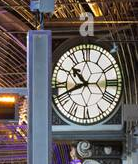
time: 10:41
